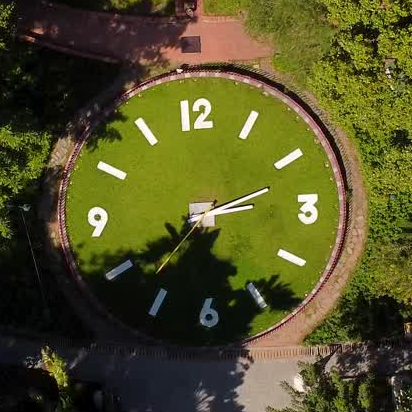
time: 2:38
